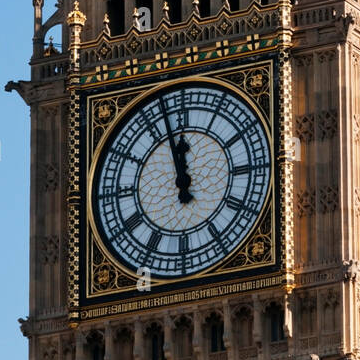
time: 11:57
